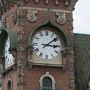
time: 3:08
